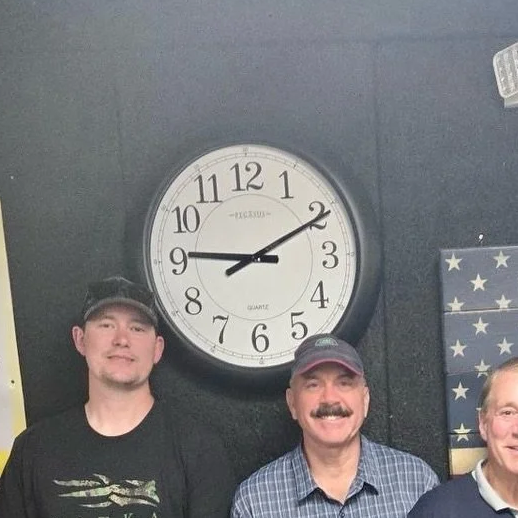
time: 9:10
